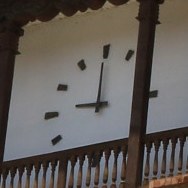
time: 8:59
